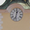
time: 12:32
